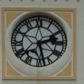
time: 2:27
